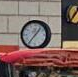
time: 1:36
